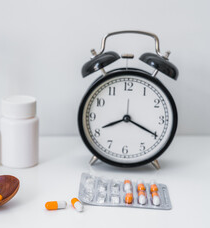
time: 8:19
